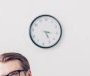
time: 3:24
